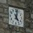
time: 5:01
